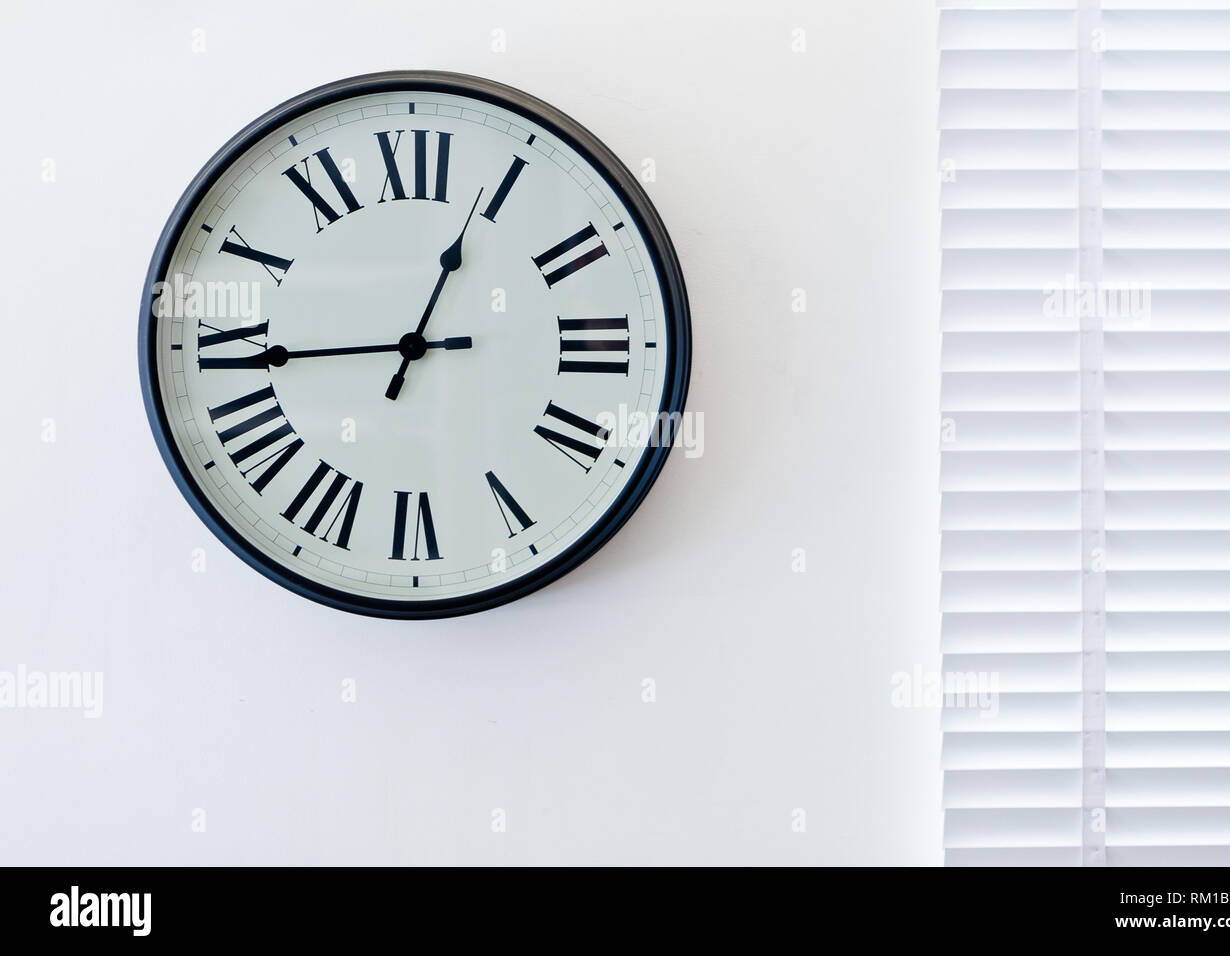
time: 12:44
